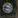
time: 9:17
